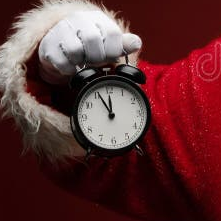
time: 11:55
